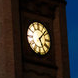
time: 5:07
